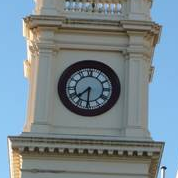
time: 7:30
